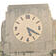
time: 5:20
